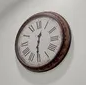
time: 12:30
